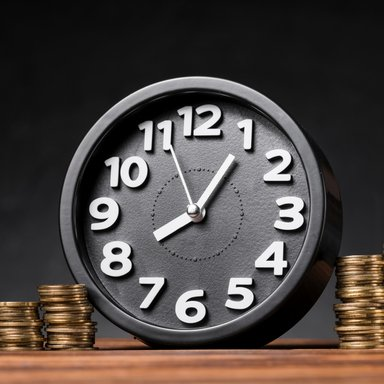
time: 8:05
